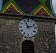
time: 11:12
